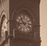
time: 10:42
